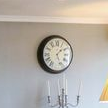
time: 1:26
